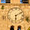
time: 6:10
